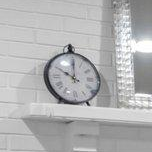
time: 10:00
